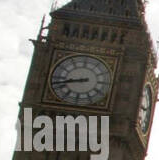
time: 8:42
